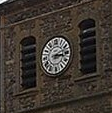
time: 3:12
